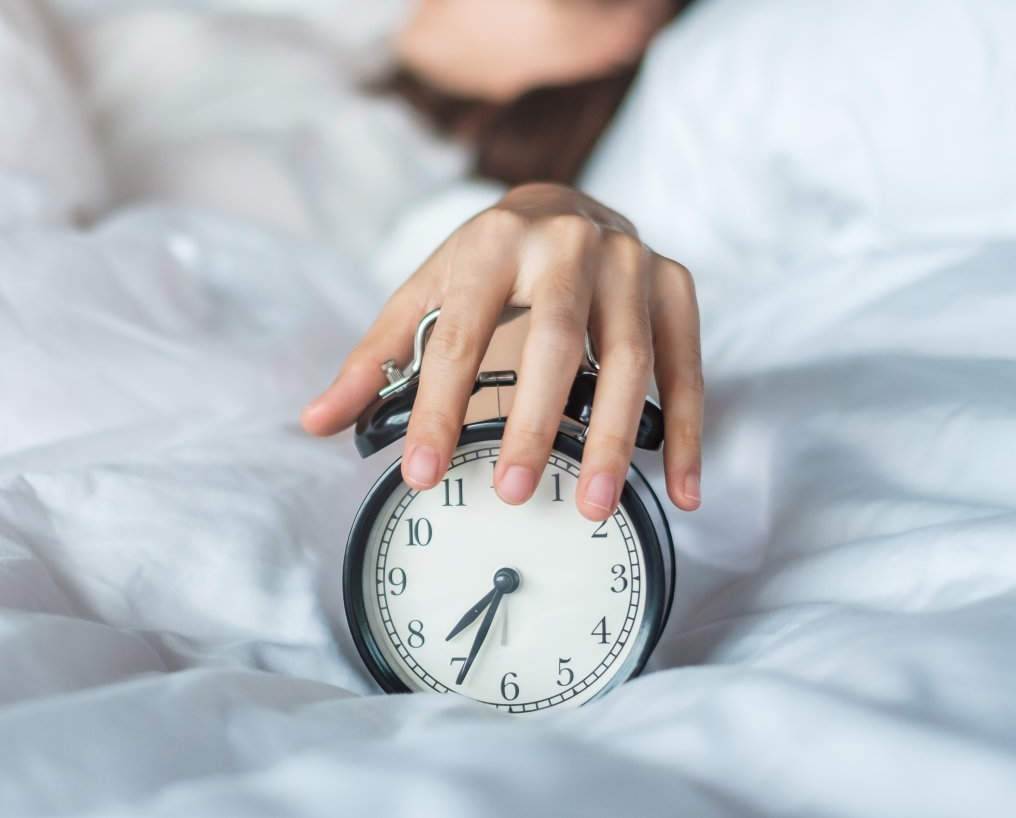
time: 7:34
